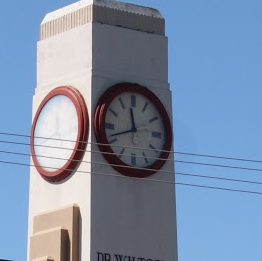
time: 11:41
